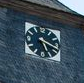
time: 5:17
